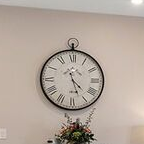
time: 4:27
